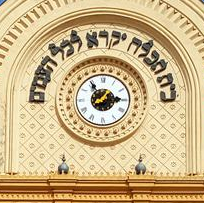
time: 2:54
